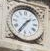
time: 1:36
